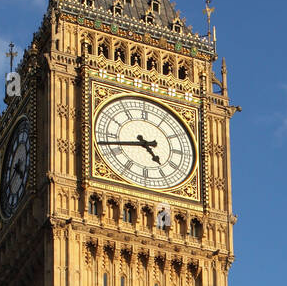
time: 4:42
